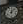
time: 12:07
